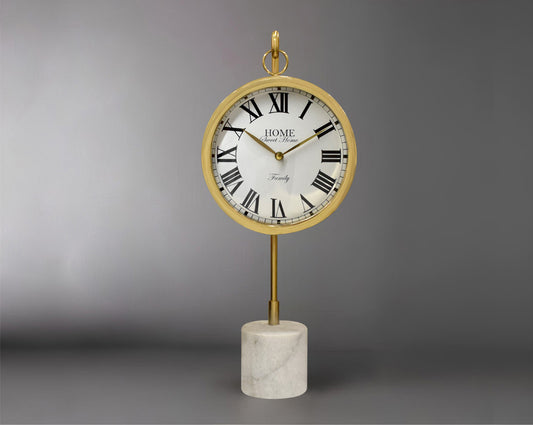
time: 10:10
